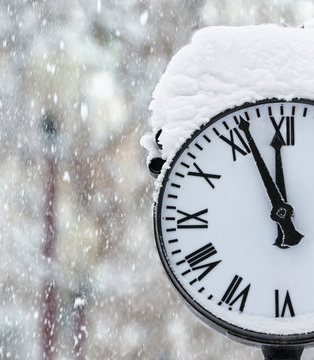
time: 11:55
